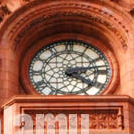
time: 4:12
